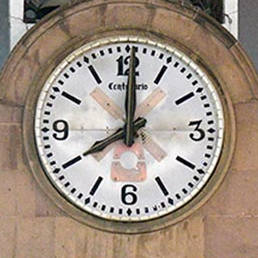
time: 8:00
